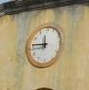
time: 11:45
